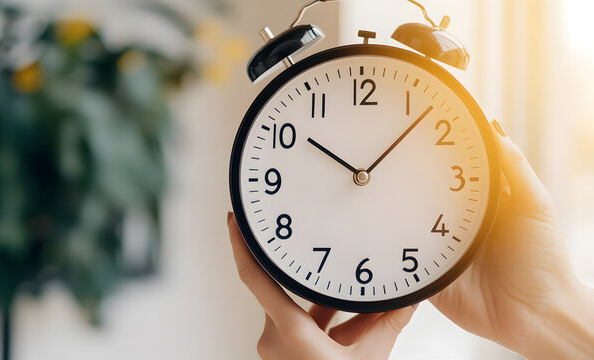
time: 10:07
